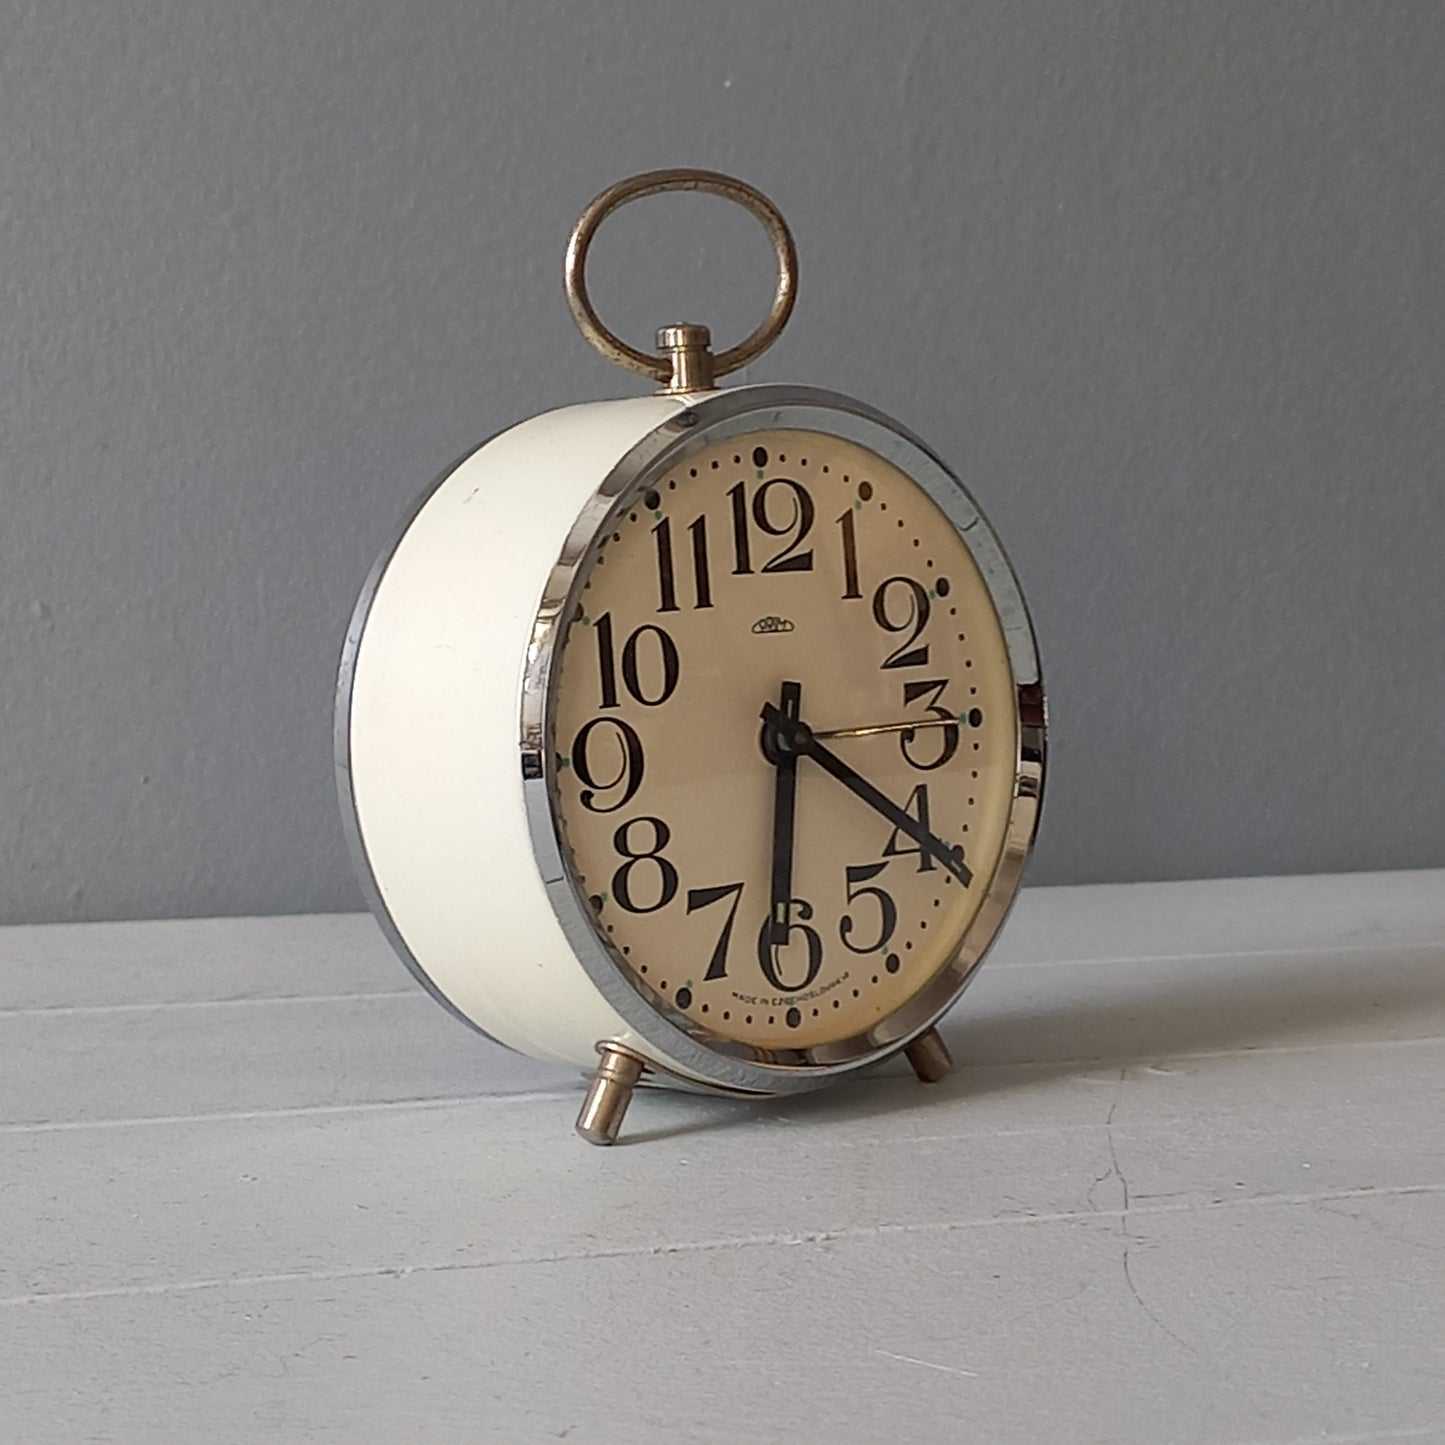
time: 6:20
